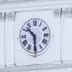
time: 10:29
